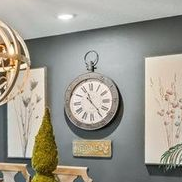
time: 11:23
